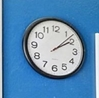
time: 2:08
